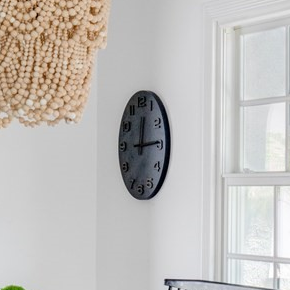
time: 12:14
